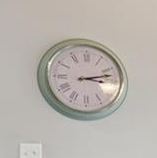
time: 3:12
